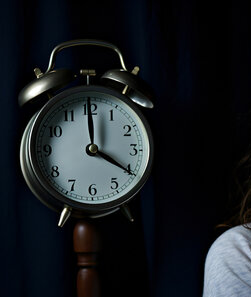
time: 4:00
